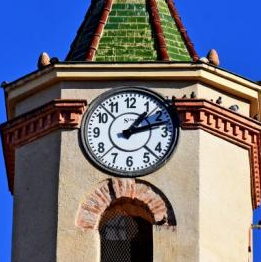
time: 1:12
